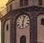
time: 6:03
